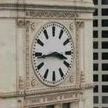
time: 3:43
